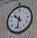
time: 10:32
